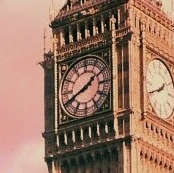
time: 1:41
